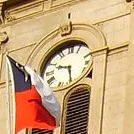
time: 9:28
